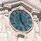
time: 4:58
